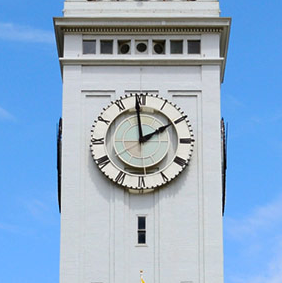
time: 1:59
